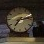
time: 7:12
